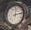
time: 12:12
